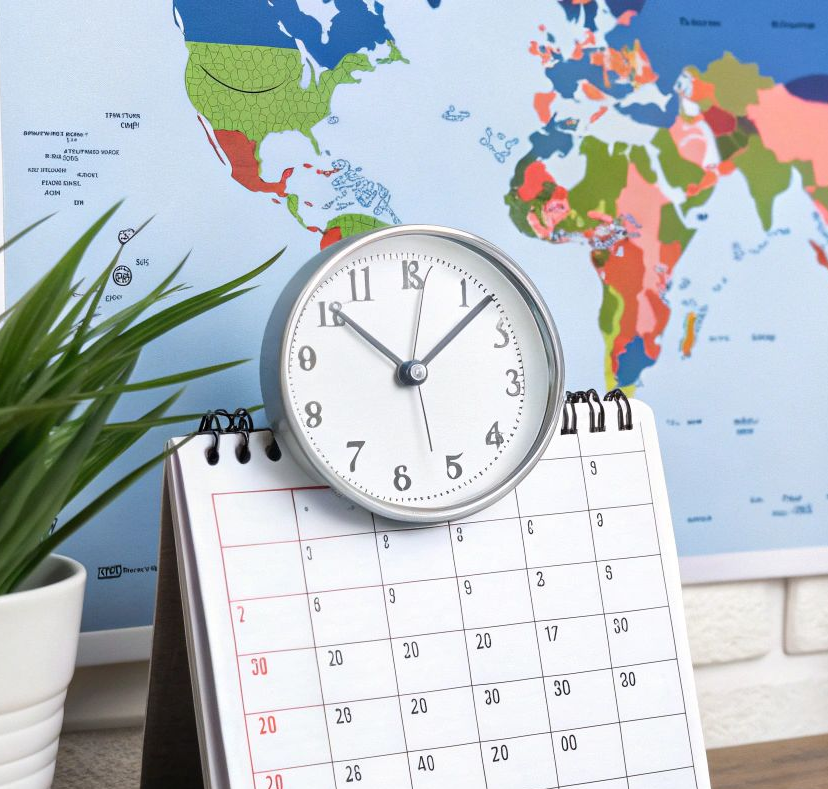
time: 10:07
